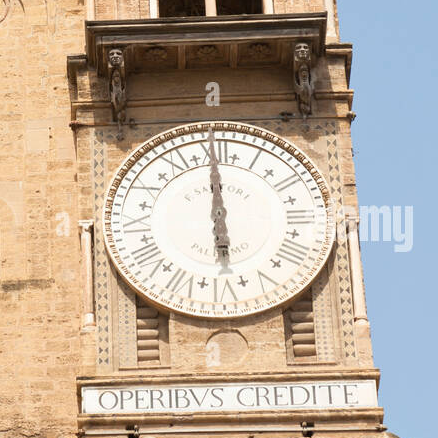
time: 5:59
